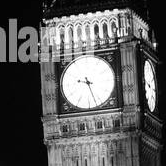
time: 9:27
